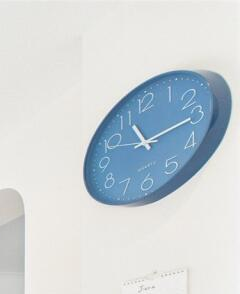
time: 11:14
